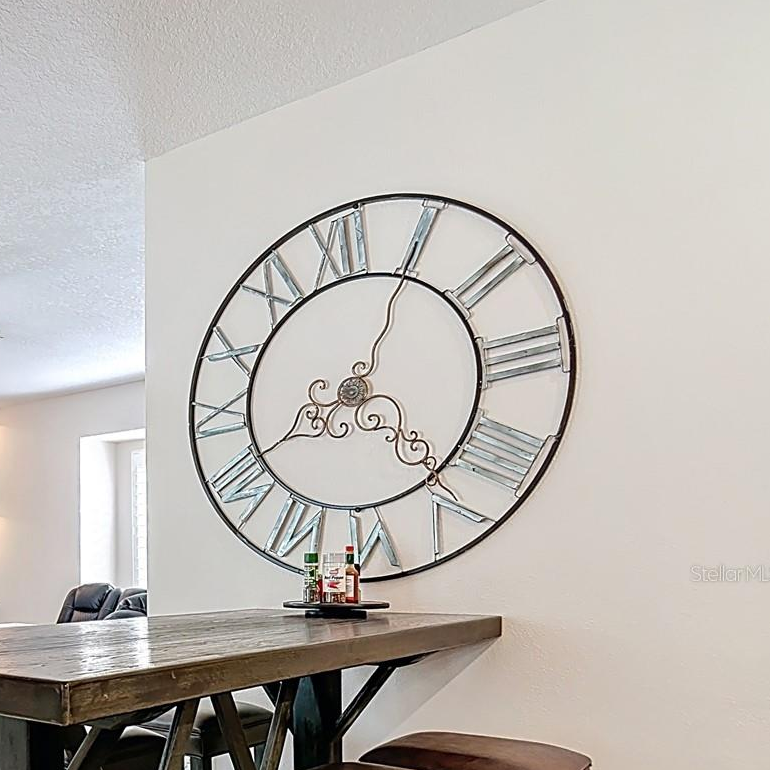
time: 8:04
